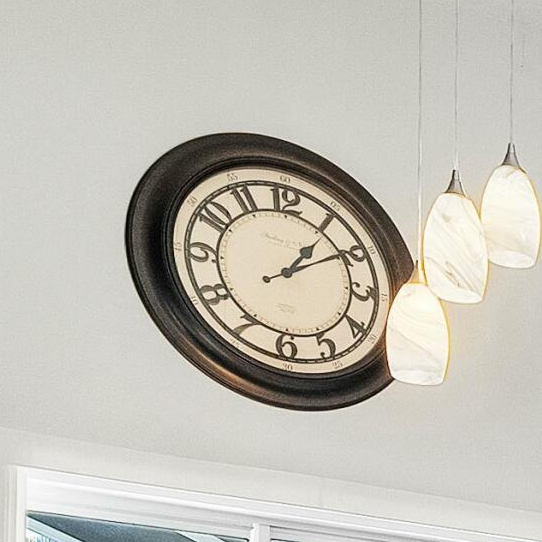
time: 1:09
